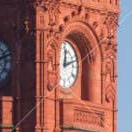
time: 12:12
